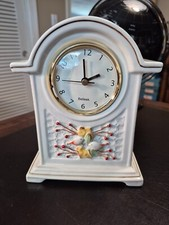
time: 1:59
